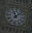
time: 11:07
